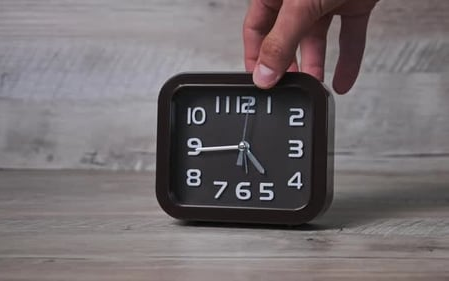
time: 4:44
